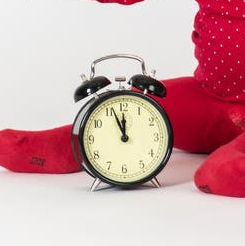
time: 11:56
